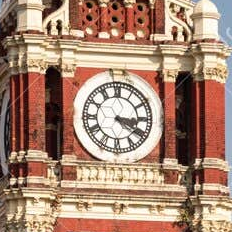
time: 3:20
